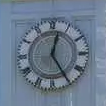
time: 12:24
